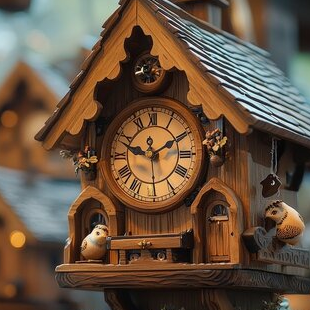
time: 9:10
